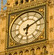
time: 6:10
